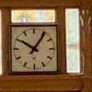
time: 10:05
